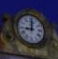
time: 9:01
